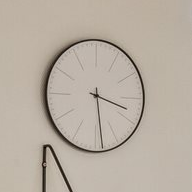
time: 3:28
